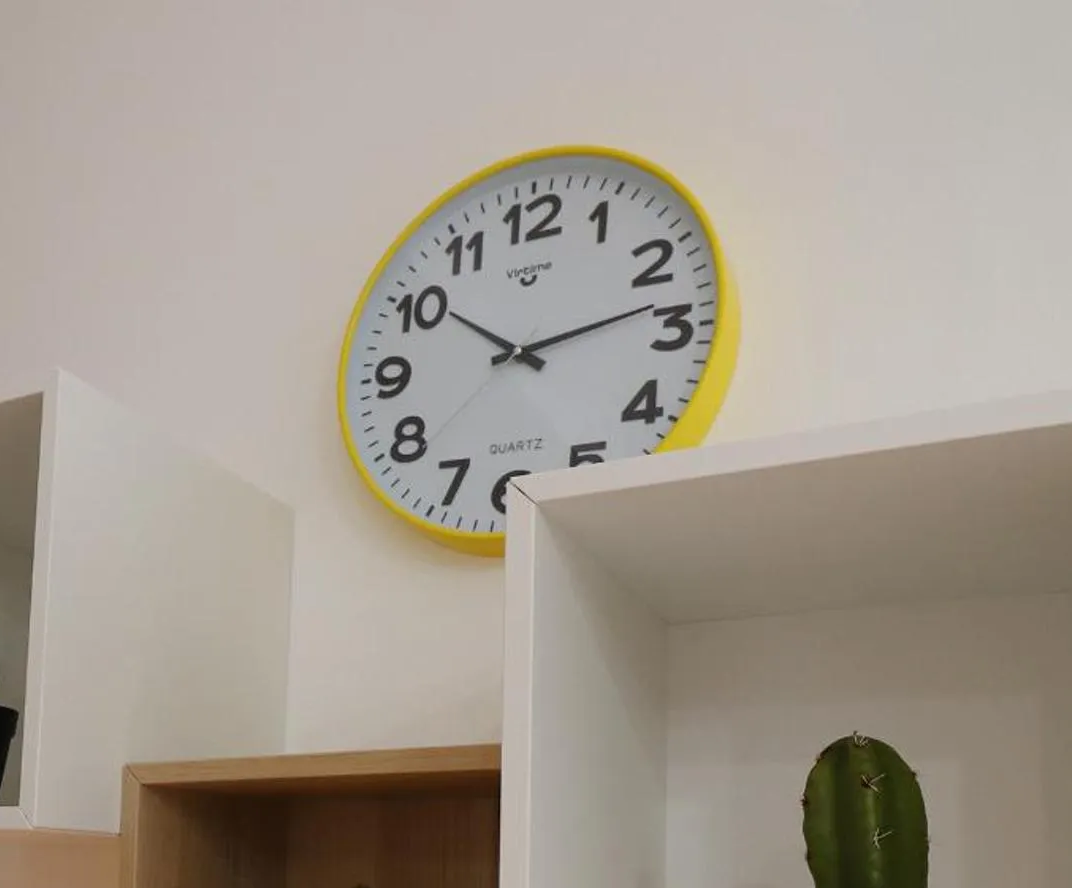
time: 10:12
